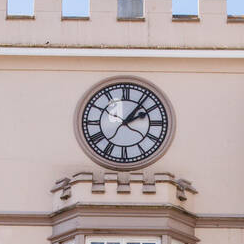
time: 2:06
